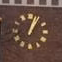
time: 1:02
